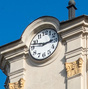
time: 2:48
